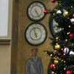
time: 4:57
